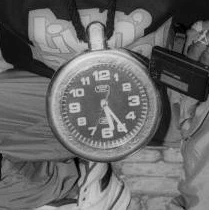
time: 5:24
